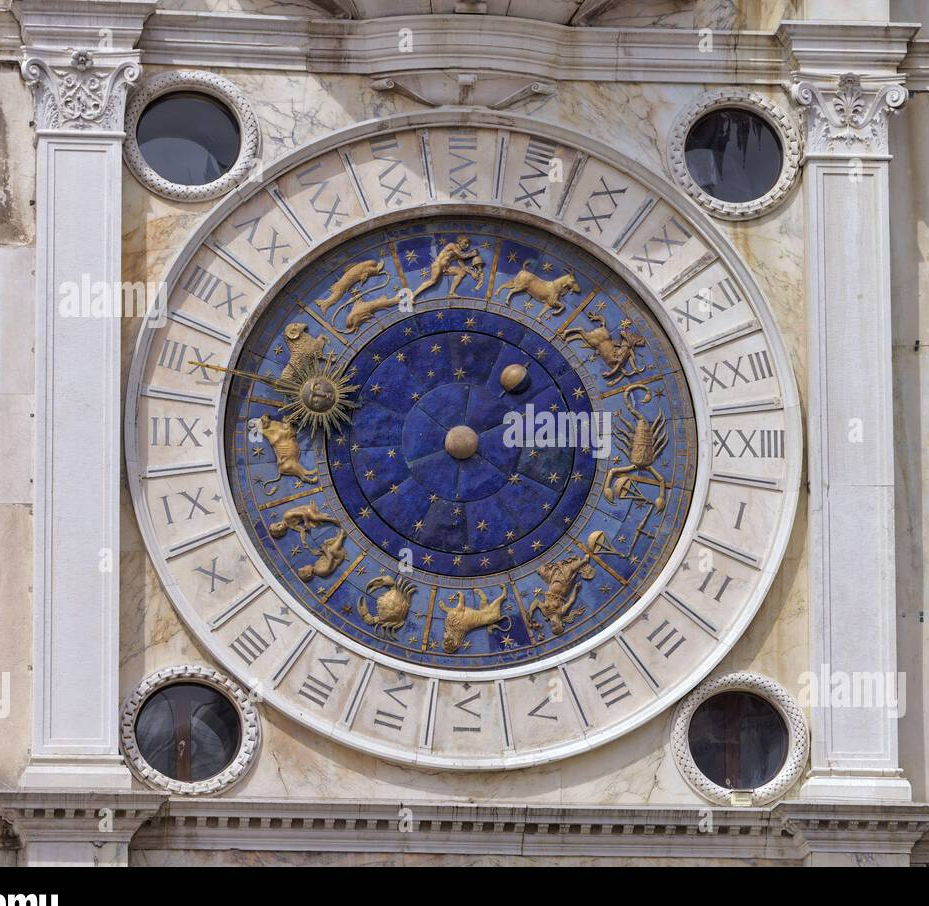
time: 1:16
